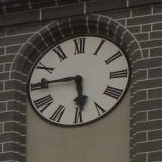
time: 5:45
